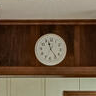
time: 11:23
